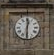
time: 12:30
